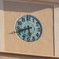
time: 5:41
